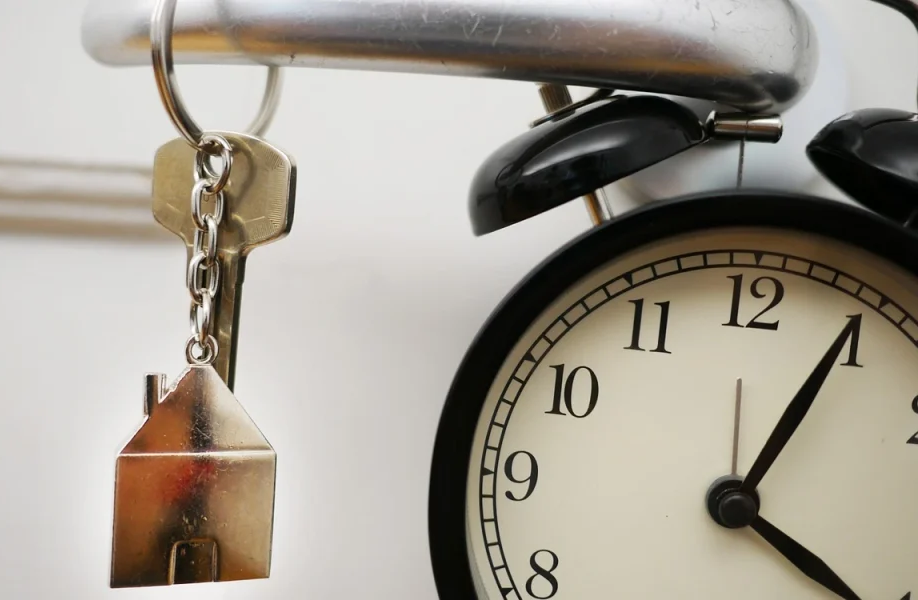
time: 4:04
